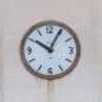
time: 10:04
